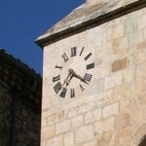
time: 7:21
